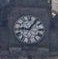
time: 9:07
